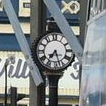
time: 7:27
